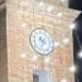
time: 4:34
